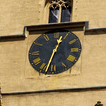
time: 12:32
